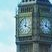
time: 12:18
